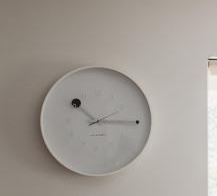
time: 10:14
